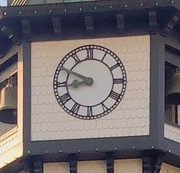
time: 8:49
